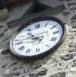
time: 10:47
